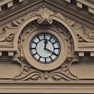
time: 12:19
